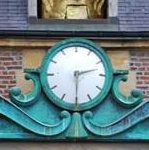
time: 2:29
